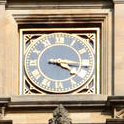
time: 4:16
